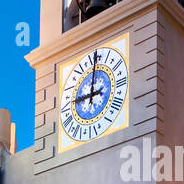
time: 9:00
